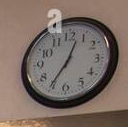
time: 12:35
